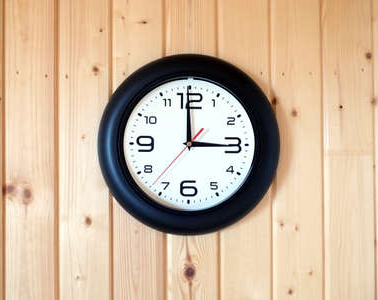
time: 2:59
